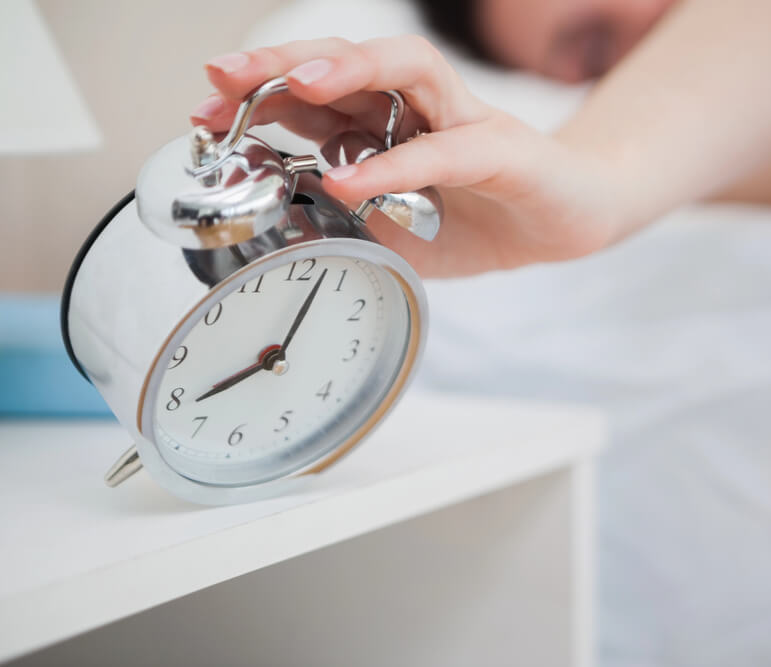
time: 8:03
